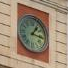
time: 1:16
